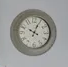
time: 10:04
